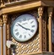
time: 3:52
